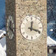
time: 12:18
